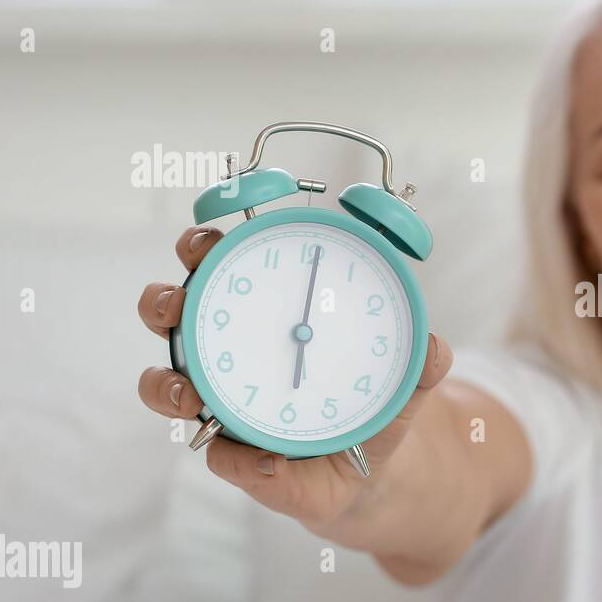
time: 6:00
